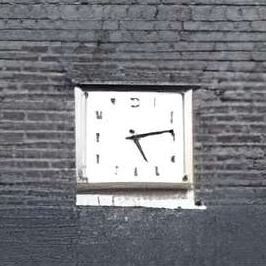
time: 5:13
